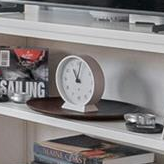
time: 11:02
